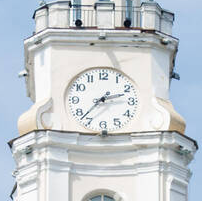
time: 2:37
